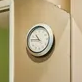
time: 10:46
